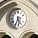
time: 5:33
